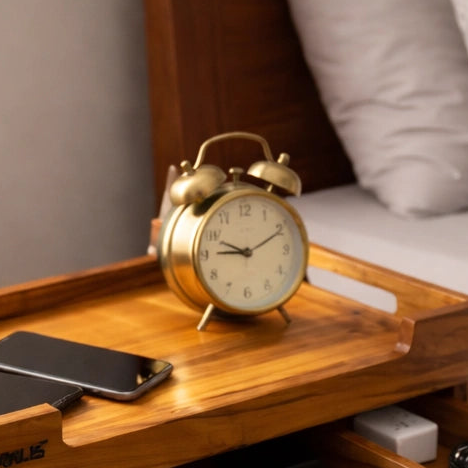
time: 9:10
